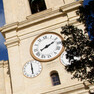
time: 8:11
